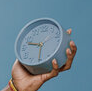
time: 9:30
